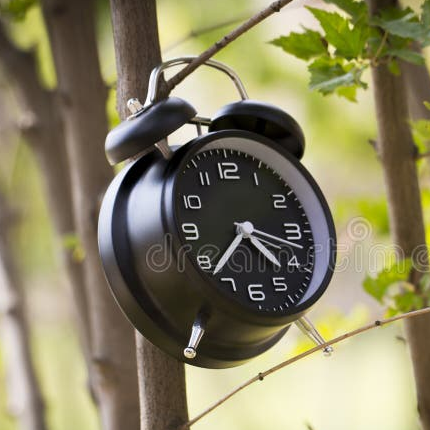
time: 4:37
